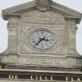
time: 3:36
